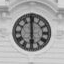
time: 5:59
